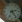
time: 2:23
